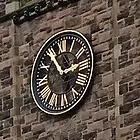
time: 2:54
